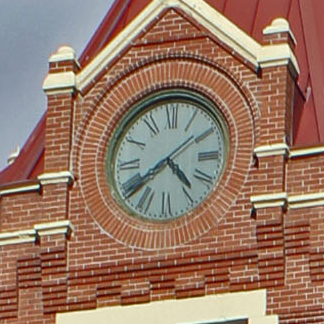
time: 4:38
